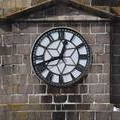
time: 12:41
